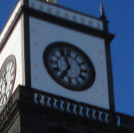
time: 6:56
